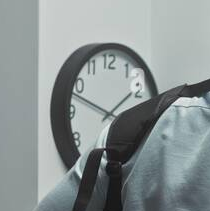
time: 1:48
